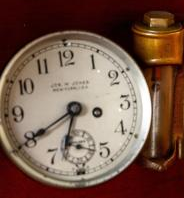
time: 6:40
